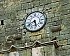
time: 5:40
